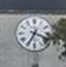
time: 3:34
